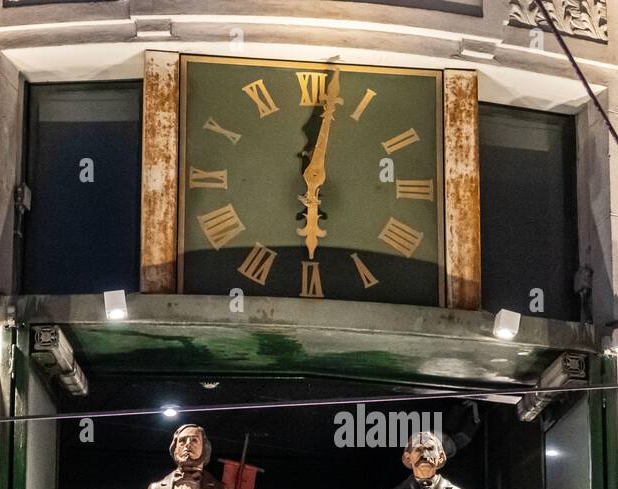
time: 6:01
